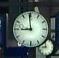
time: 8:59
